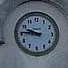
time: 9:45
